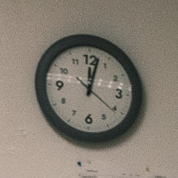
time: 12:02
